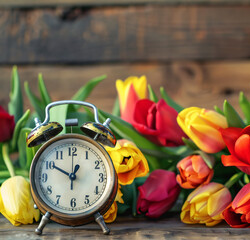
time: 12:50
